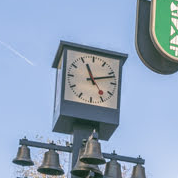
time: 11:12
